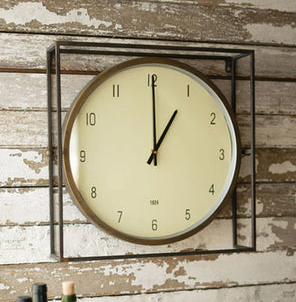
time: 1:00
